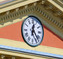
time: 12:23
